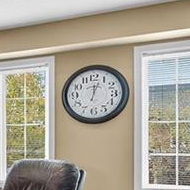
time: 12:02
